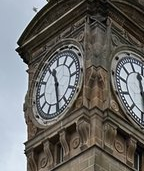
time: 11:29
